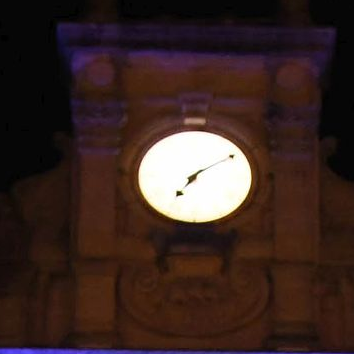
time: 7:09
